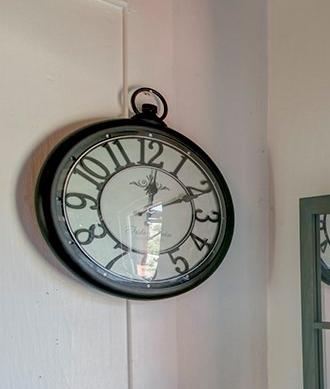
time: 12:10
